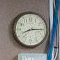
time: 8:14
